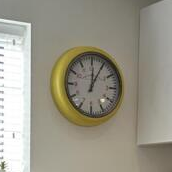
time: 12:05
